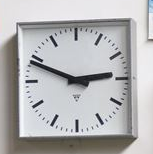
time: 2:48
